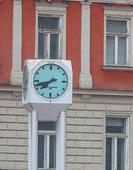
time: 7:42
